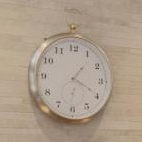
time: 1:19
